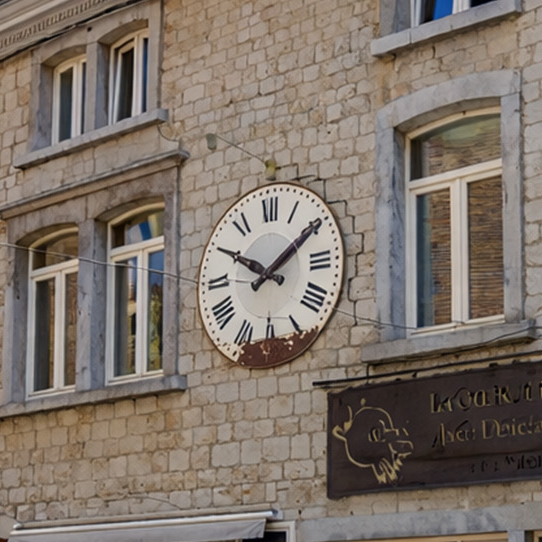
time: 1:50
